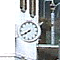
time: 7:39
